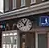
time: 12:53
